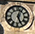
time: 12:26
